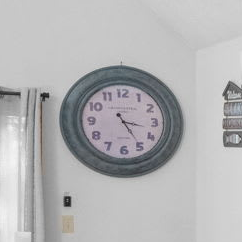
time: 3:24
